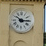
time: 10:14
